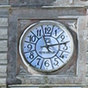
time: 11:13
